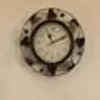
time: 11:11
